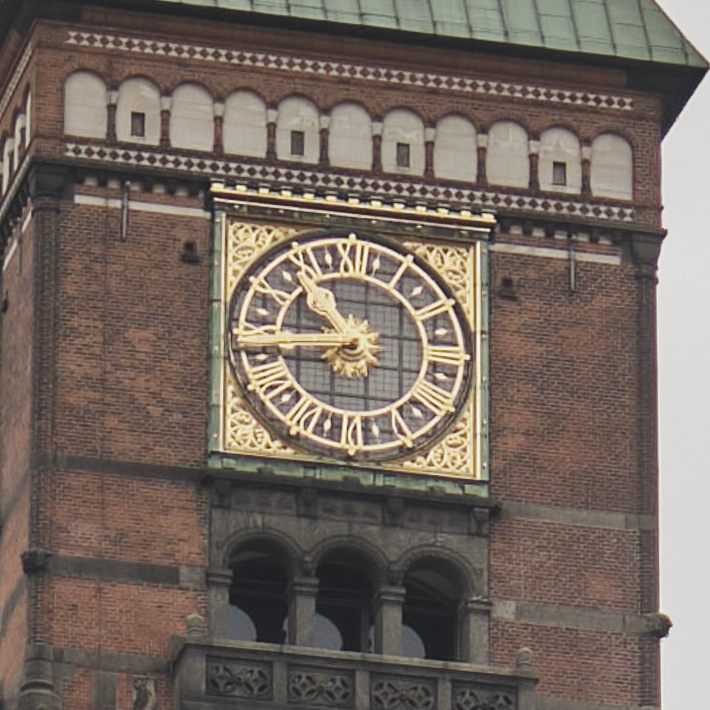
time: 10:44
